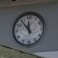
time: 11:53
